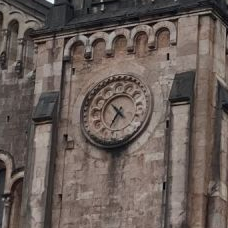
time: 6:52
